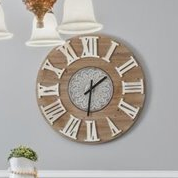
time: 1:31
